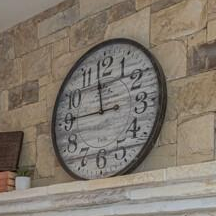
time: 11:45
